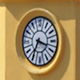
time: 3:35
